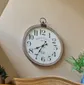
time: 7:34
